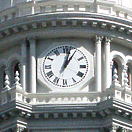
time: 1:02
